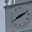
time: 8:11
